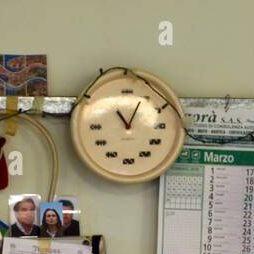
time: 11:04
